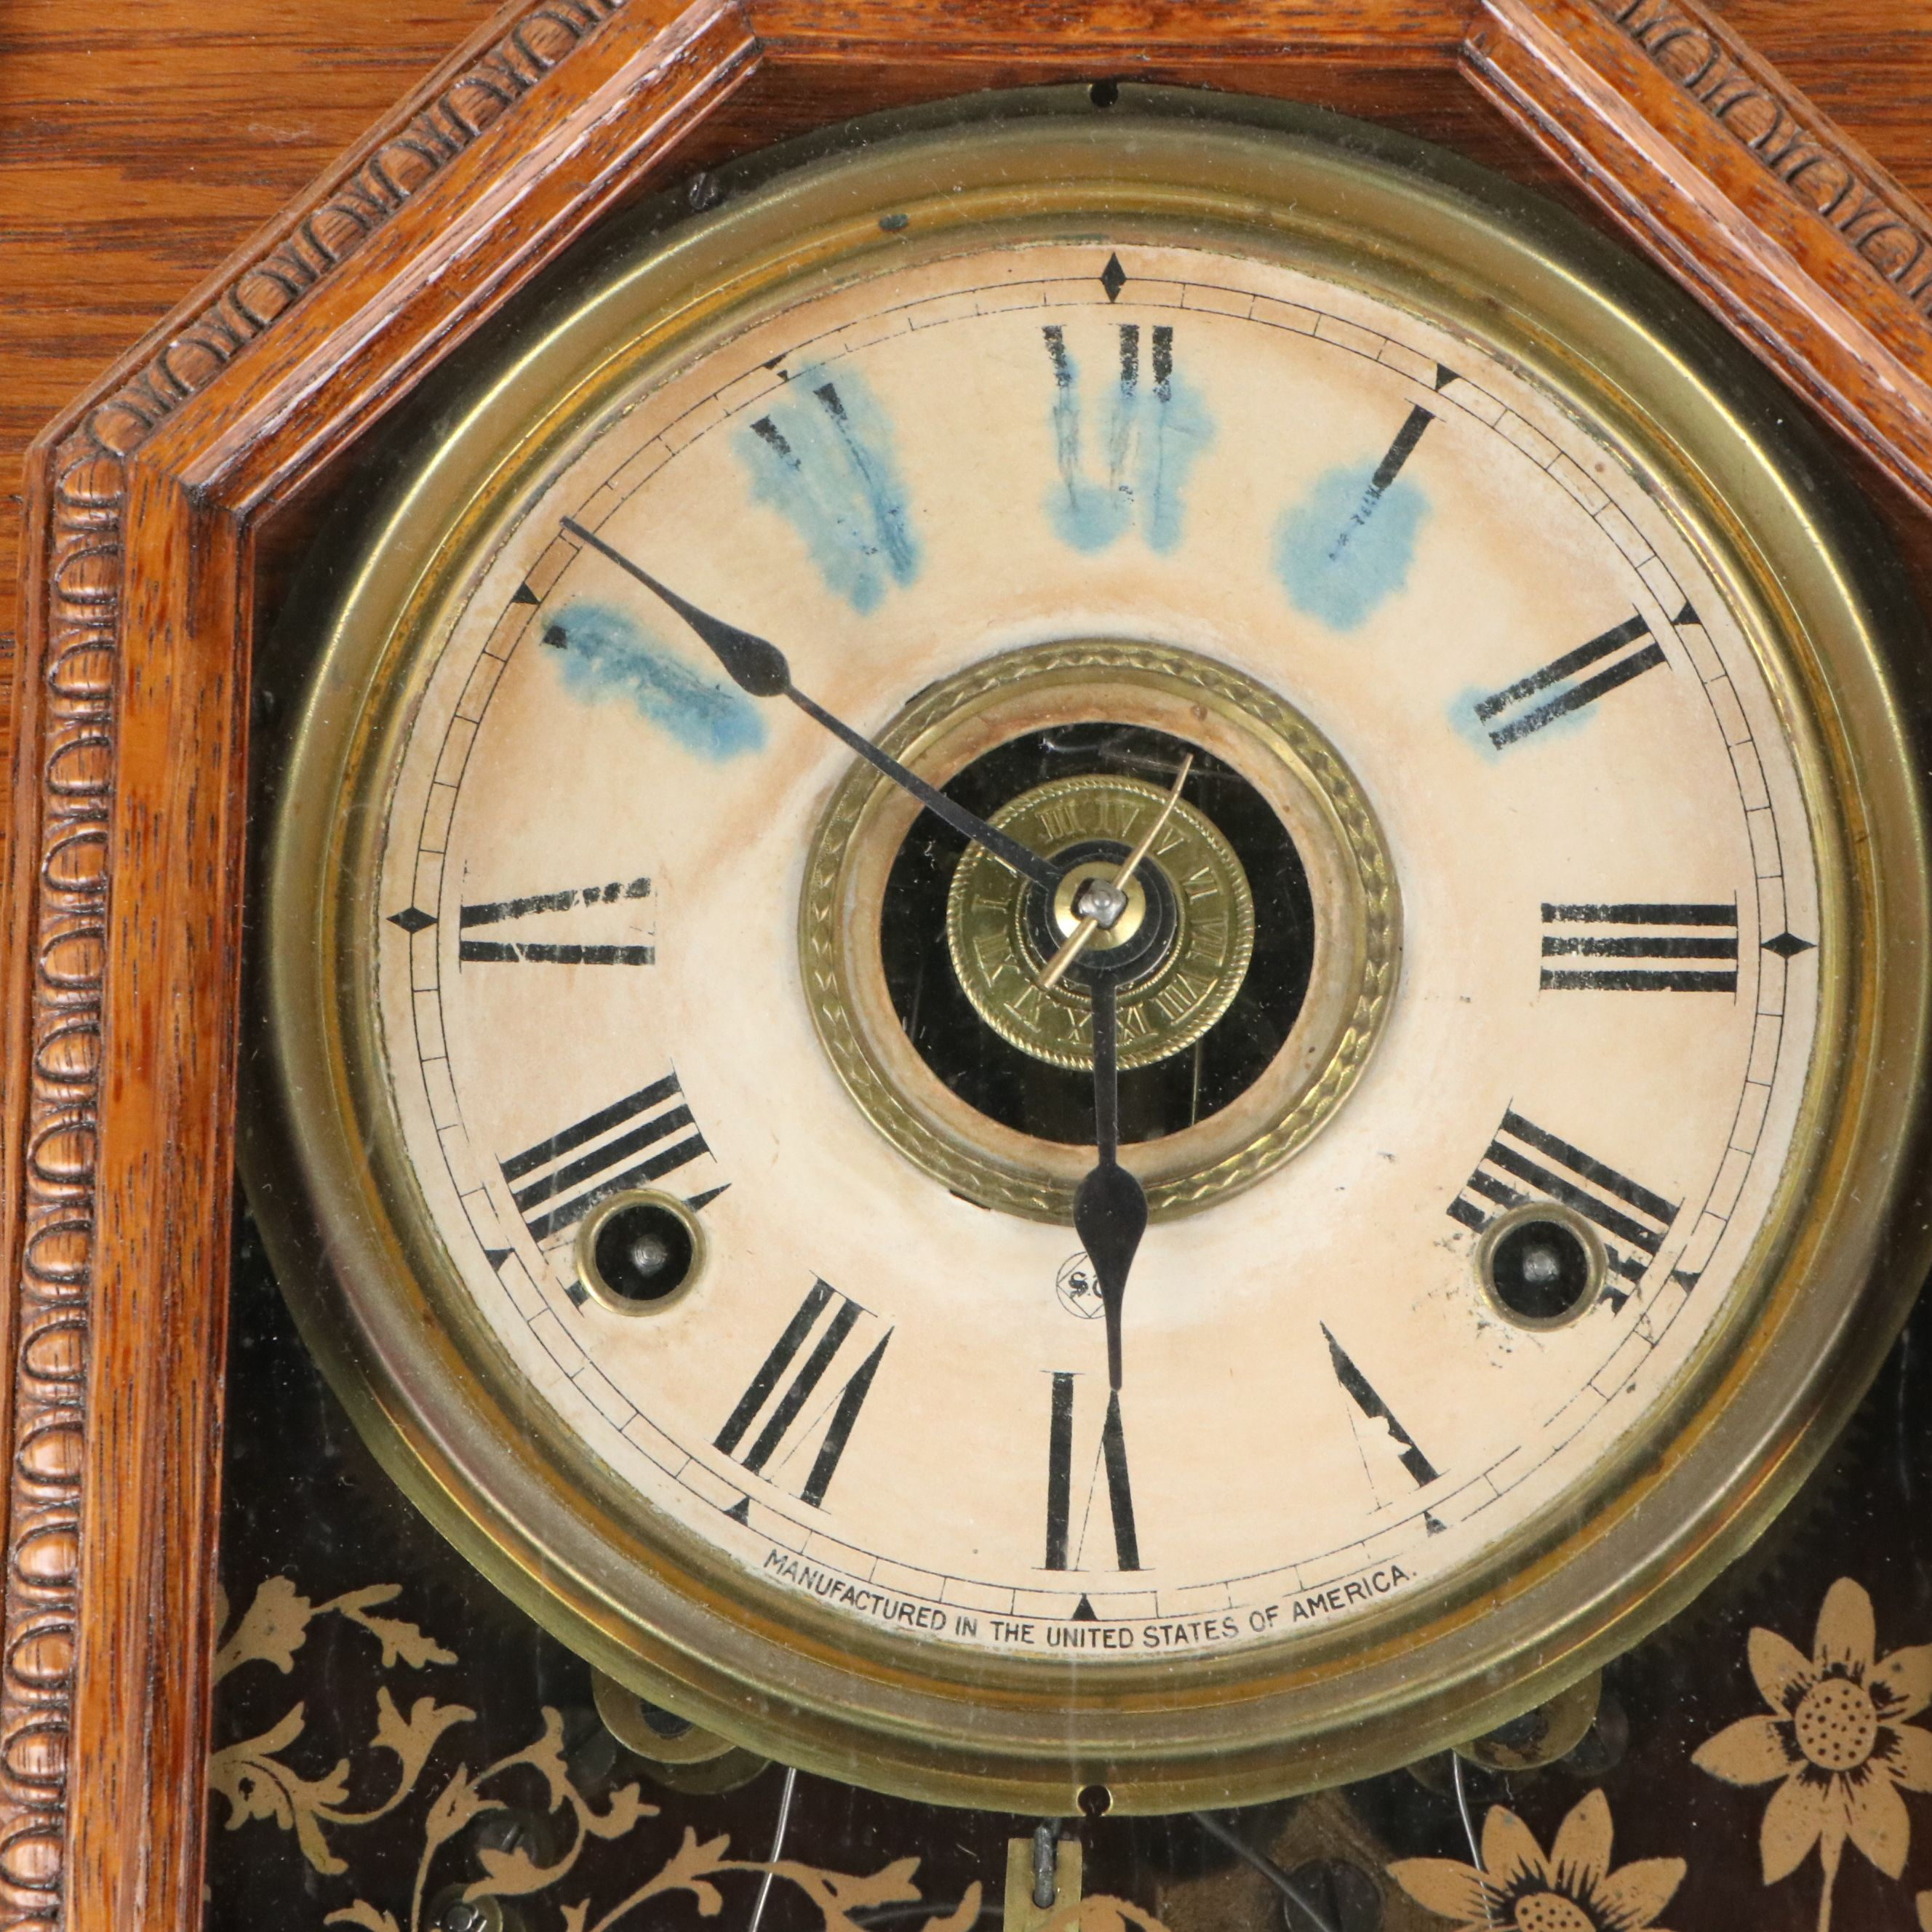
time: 5:51
